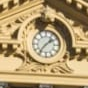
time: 1:36
